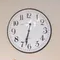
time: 6:32
